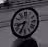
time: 8:34
